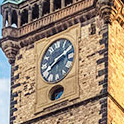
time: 8:12
